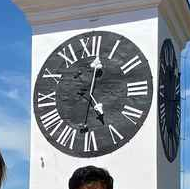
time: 5:02
